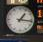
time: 1:16
